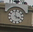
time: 3:58
